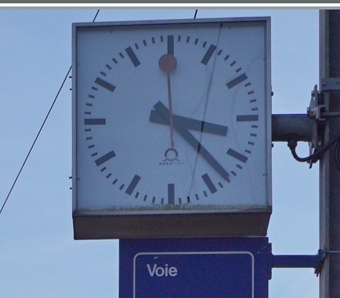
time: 3:22
